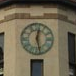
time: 12:27
